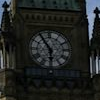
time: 5:54
